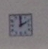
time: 1:59
